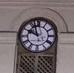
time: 9:56
